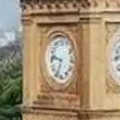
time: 9:34
